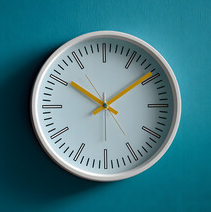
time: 10:09
